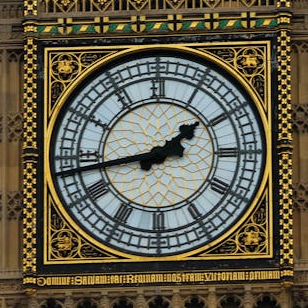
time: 1:43
